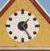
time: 1:24
